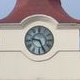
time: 9:25
